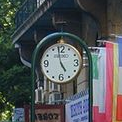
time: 4:58
